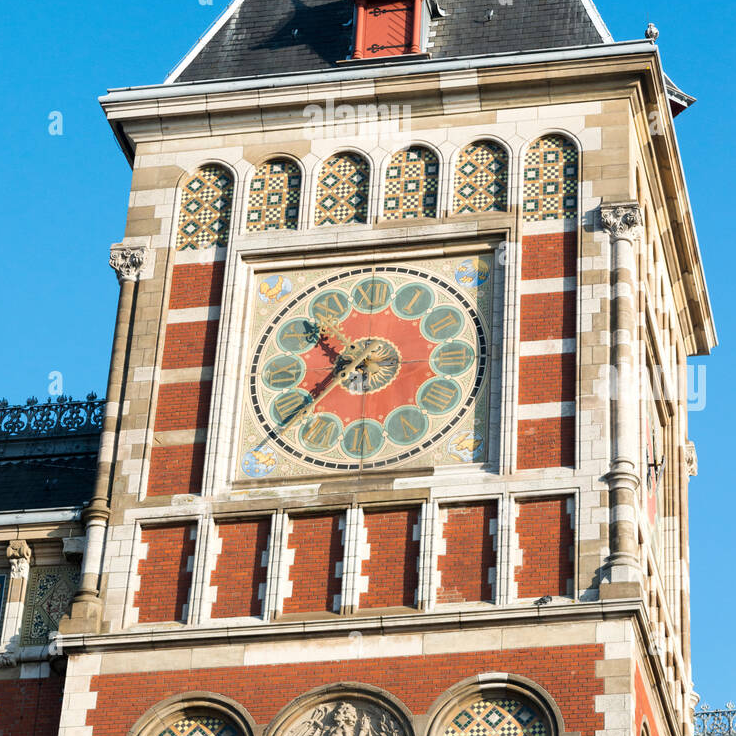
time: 10:38
